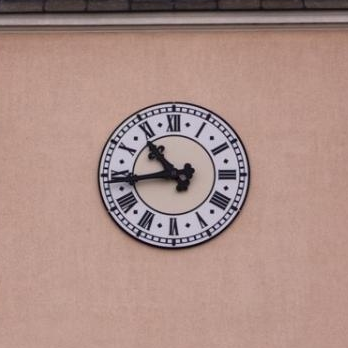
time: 10:43
